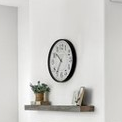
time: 10:35
